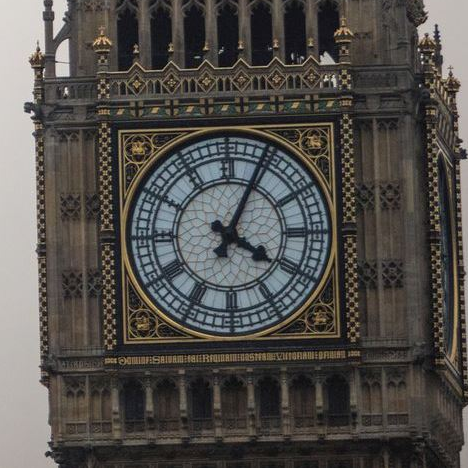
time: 4:04
